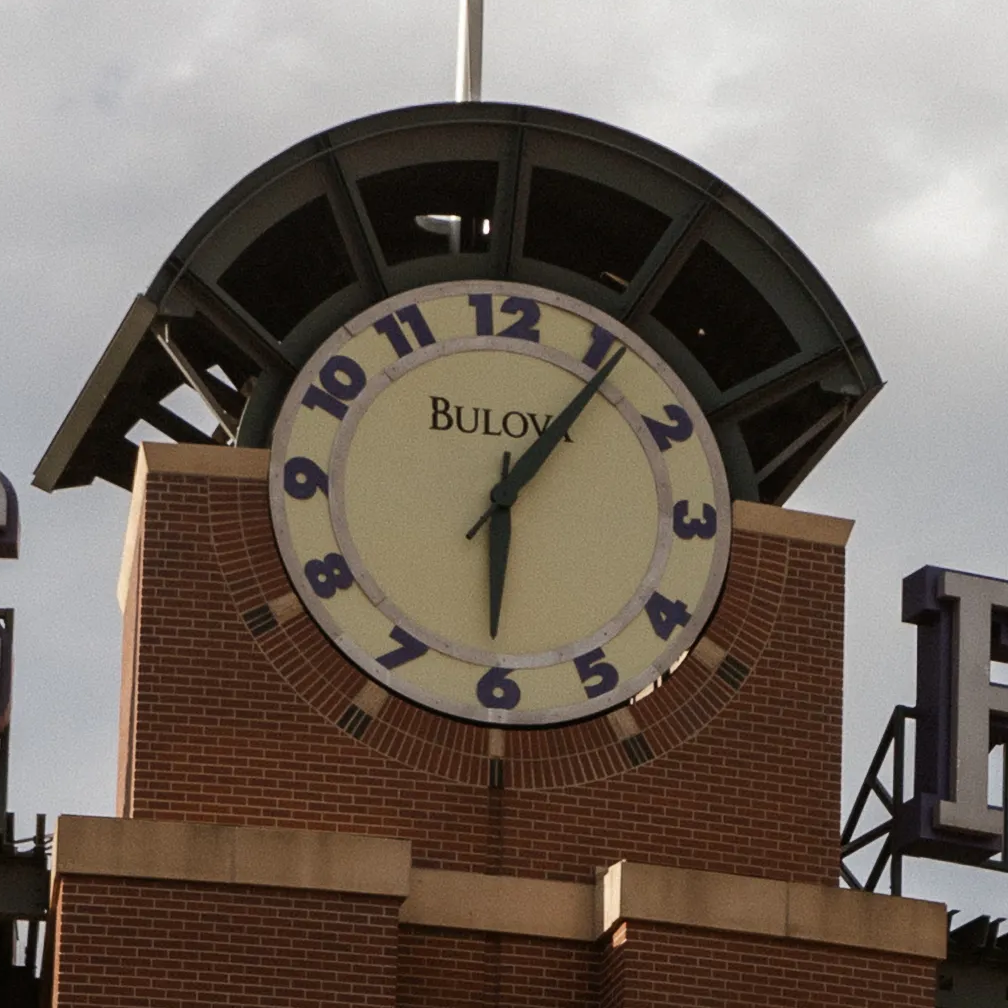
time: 6:06
